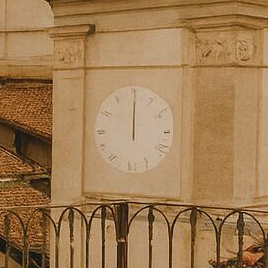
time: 12:00
